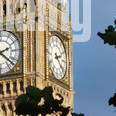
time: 2:21
